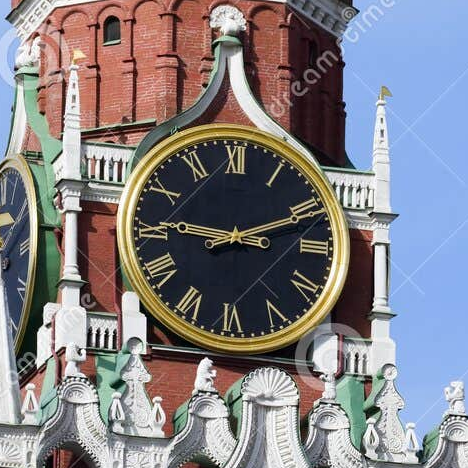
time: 9:11
